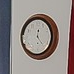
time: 12:23
